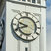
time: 9:41
